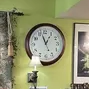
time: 12:56
